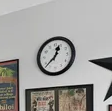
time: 12:37
